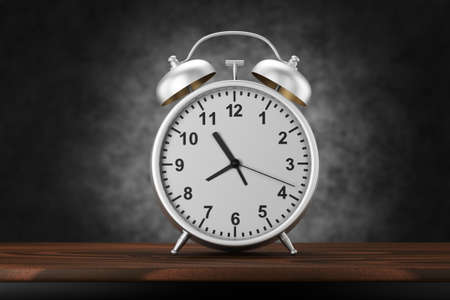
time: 7:54
